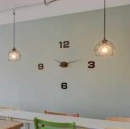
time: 9:12
